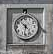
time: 10:32
